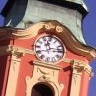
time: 11:13
